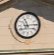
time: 11:13
